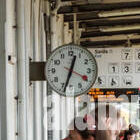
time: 12:32
